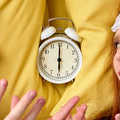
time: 5:59
